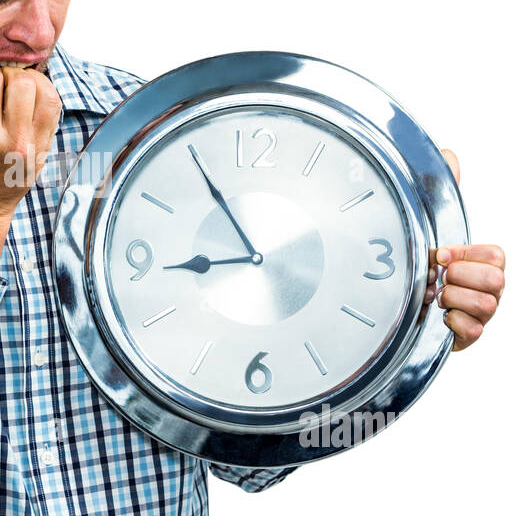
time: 8:54
